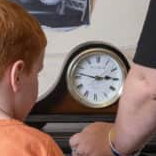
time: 2:46
